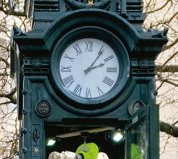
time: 2:06
